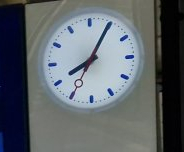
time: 8:04
